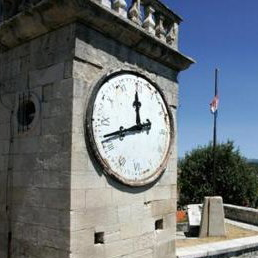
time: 11:41
